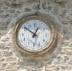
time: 12:51
